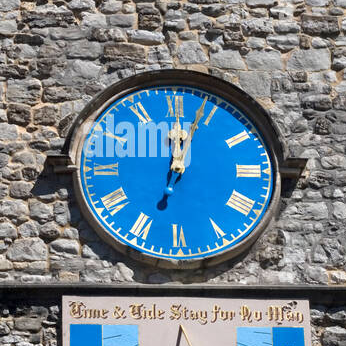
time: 12:03
